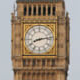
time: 8:12
